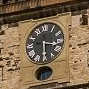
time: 3:29
